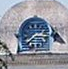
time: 7:15
